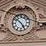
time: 4:52
